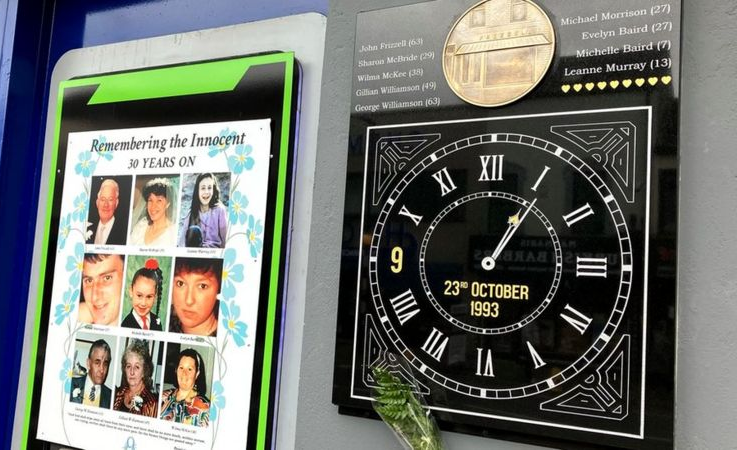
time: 1:05
